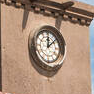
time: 12:08
